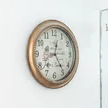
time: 12:24
